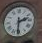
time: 2:30
